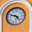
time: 4:48
